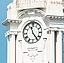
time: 11:23
